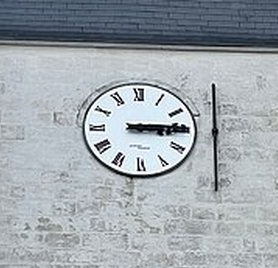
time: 3:14
